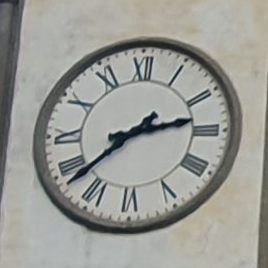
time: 2:38
